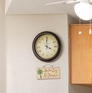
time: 4:00
